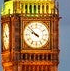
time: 9:52
